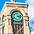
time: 3:12
